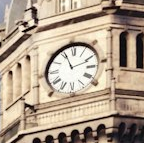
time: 11:11
